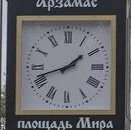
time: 1:42
